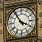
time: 3:54
